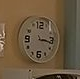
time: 3:16
